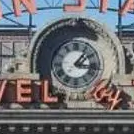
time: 1:16
